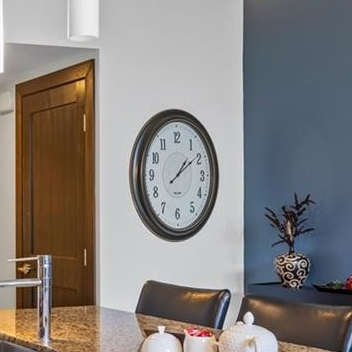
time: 1:08
